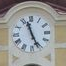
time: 11:26
